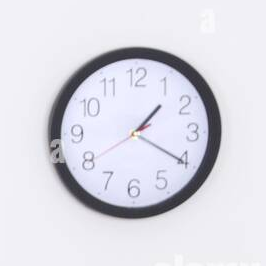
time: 1:20
